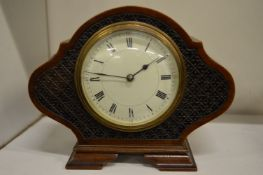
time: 1:46
